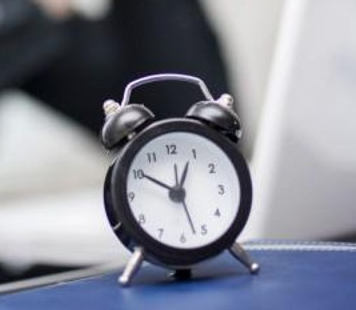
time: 12:50
